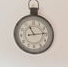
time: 11:13
